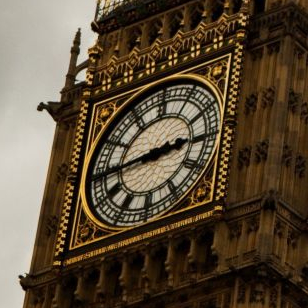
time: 2:44
